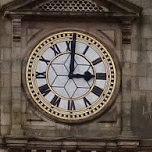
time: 3:00
